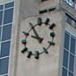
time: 9:54
